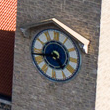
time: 4:43
